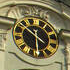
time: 5:51
